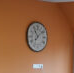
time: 11:08
